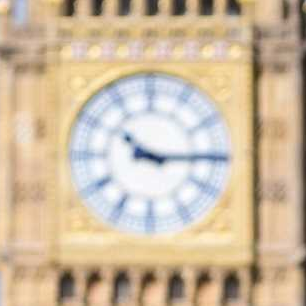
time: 10:14
